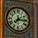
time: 7:15
